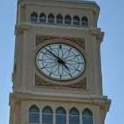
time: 4:52
